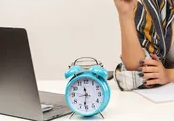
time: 11:31
